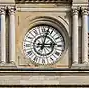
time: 3:02
